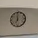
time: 7:00
